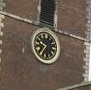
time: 9:35
